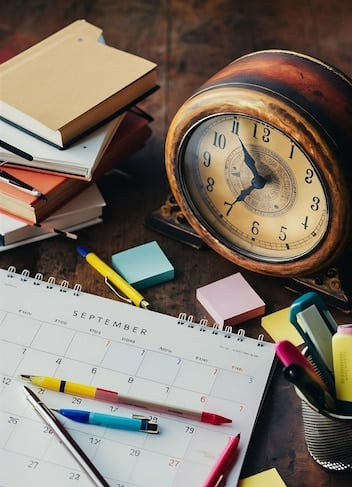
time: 10:35
